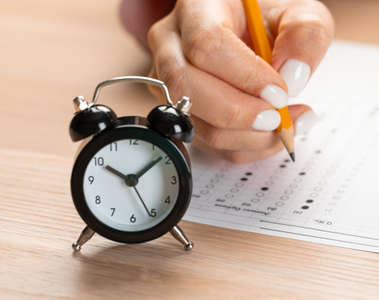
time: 10:08
